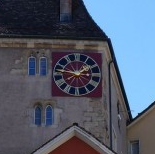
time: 1:46
